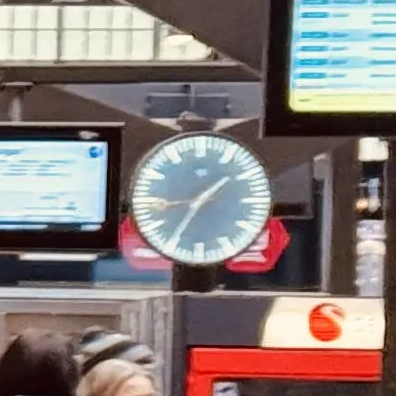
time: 1:35
